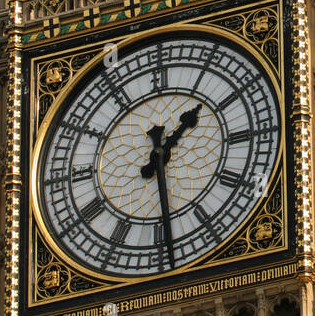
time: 1:29
